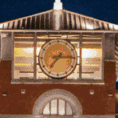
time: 7:15
